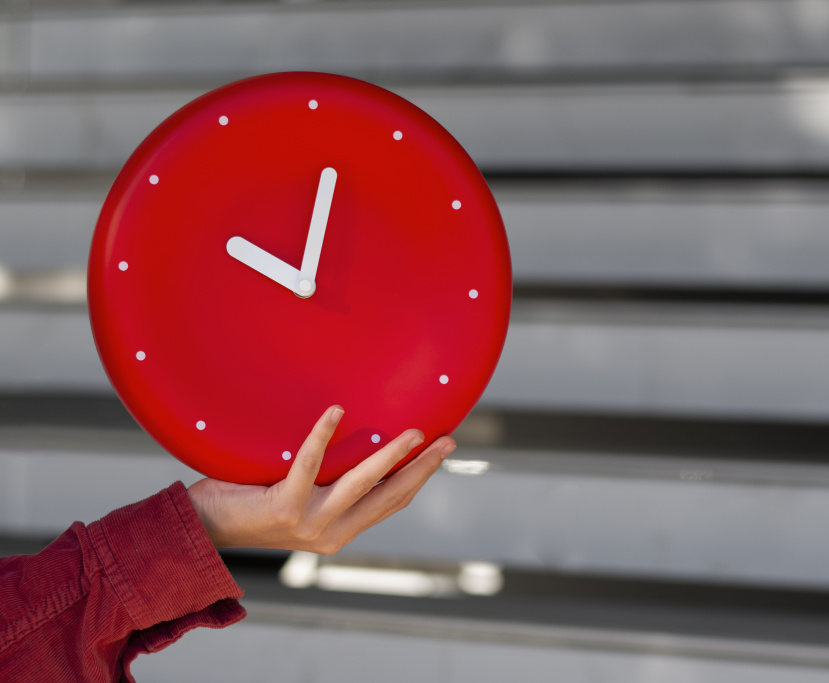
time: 10:01
